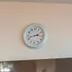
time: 2:42
